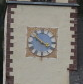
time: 3:51
